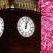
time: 12:03
